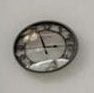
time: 2:56
